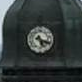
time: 5:18
